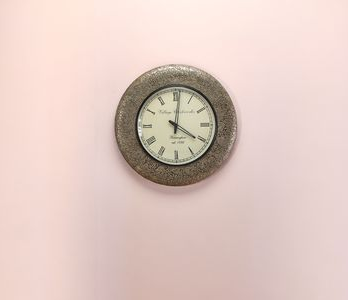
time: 4:01
